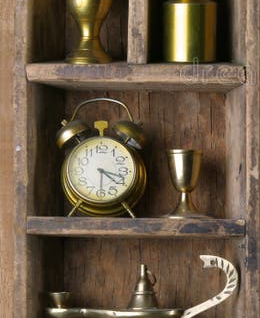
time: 4:17
